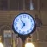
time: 6:54
